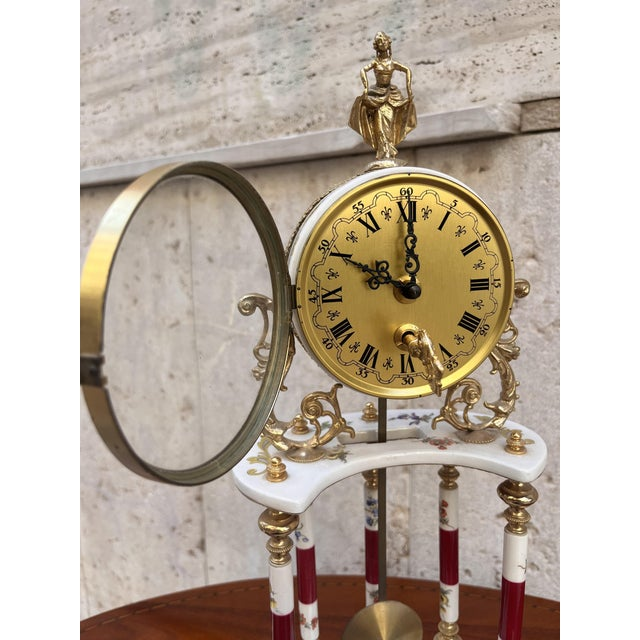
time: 10:00
